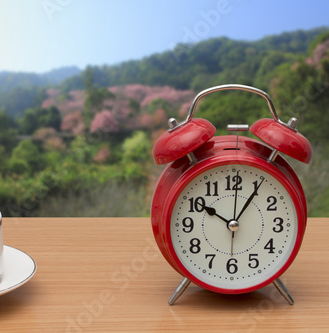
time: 10:05
